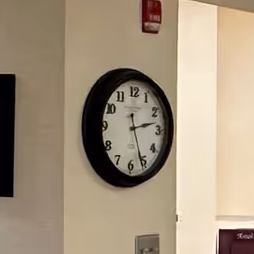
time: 2:26
